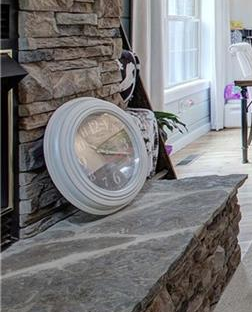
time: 3:09
